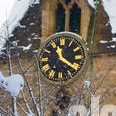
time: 11:20
